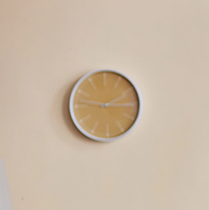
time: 2:15
